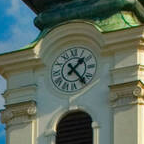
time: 1:23
